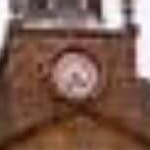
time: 4:35
